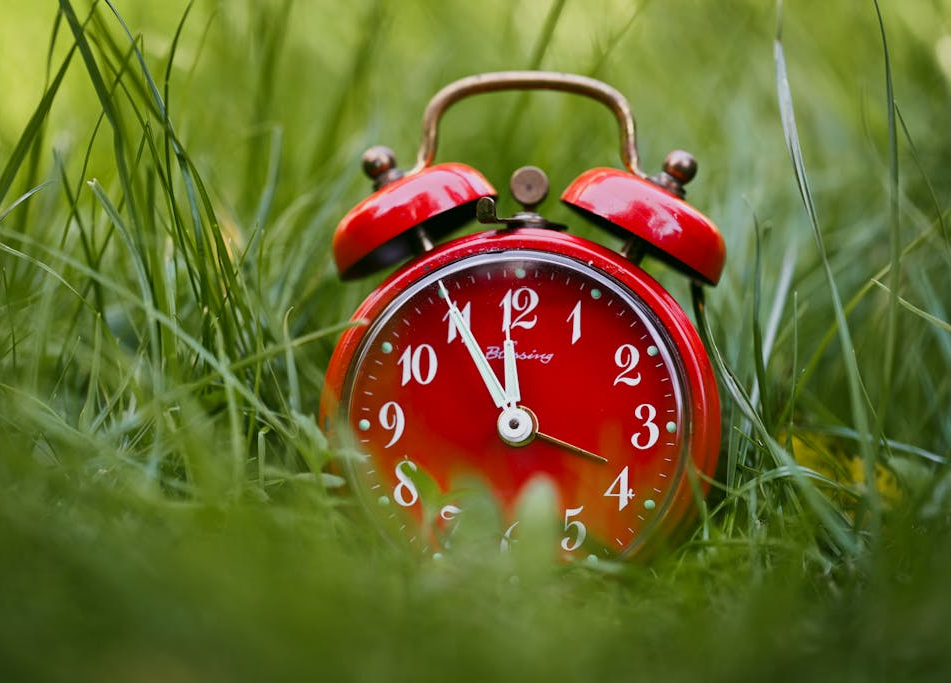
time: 11:55
